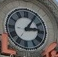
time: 3:05
